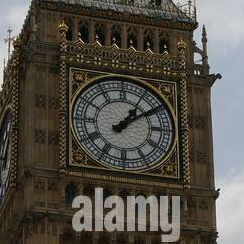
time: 1:09
